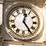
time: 12:24
